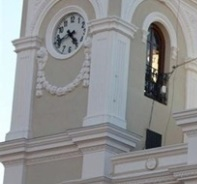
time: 4:42
